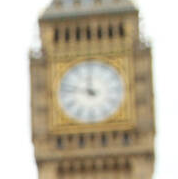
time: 11:47
